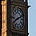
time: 8:11
